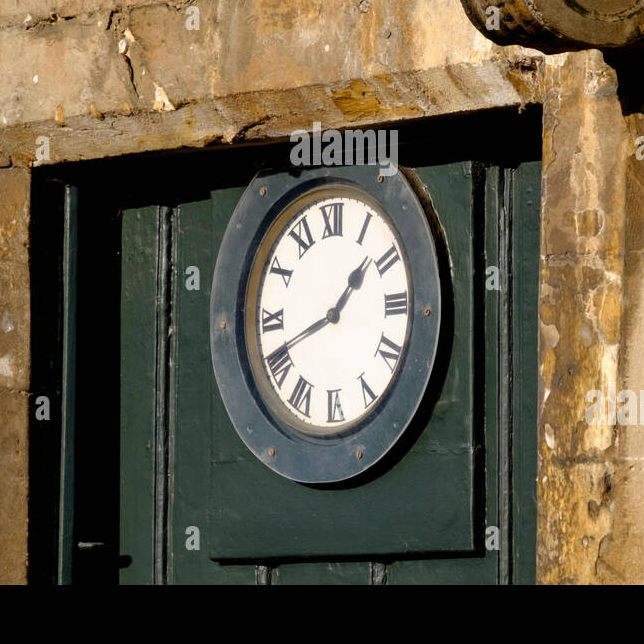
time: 1:41
